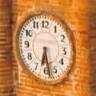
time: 6:28
